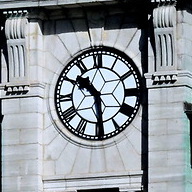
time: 10:28
